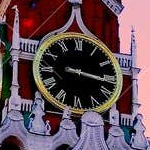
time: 3:16
